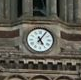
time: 5:05
